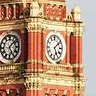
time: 5:08
